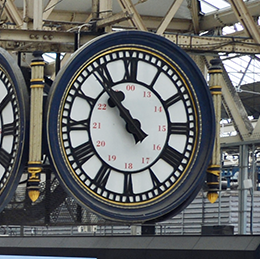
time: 10:53
